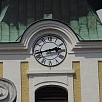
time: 2:42
